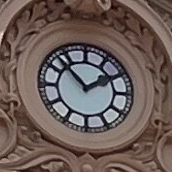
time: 1:52
